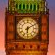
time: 6:10
